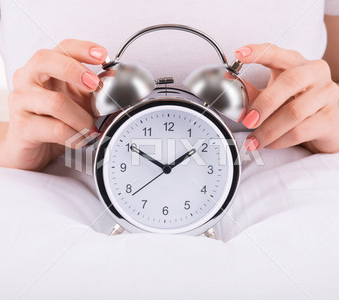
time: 1:50
